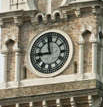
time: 8:58
